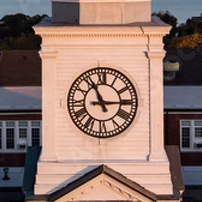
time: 11:14
